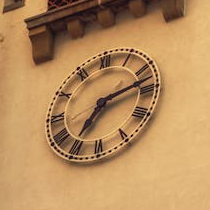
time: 7:12
